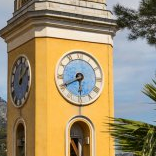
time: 5:40
